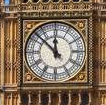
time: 11:52
